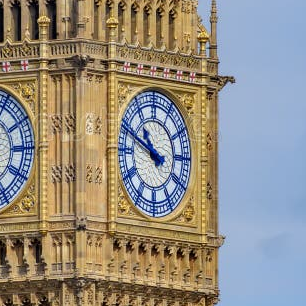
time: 10:48
